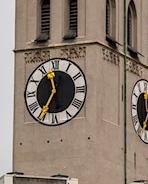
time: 11:35
